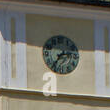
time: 2:36
